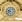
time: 9:38
